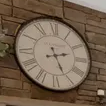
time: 2:26
